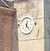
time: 12:23
